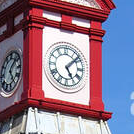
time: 5:08
